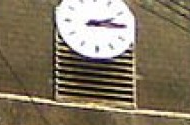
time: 2:15
